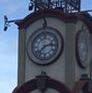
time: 2:38
